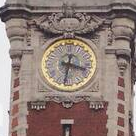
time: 3:32
